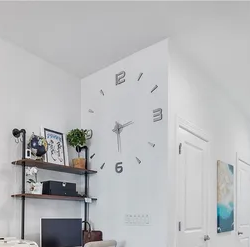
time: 2:29
